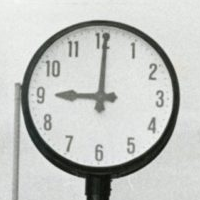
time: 9:00
